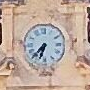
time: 6:37
